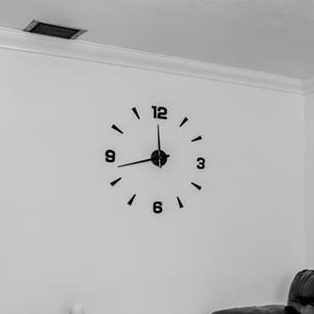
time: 11:42
